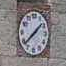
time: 1:38
